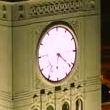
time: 6:21
